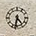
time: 4:32
